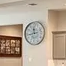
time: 11:43
